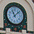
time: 11:07
